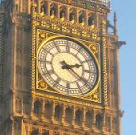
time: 2:21
